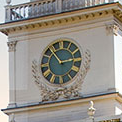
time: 2:54
